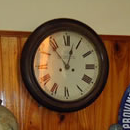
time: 12:53
